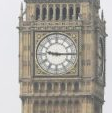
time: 9:15
